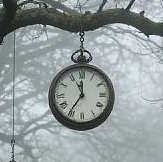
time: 11:35
